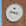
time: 9:17
